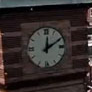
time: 12:10
